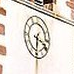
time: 6:18
